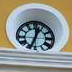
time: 12:33
